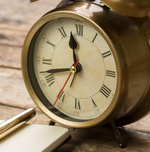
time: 11:42
